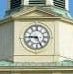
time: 9:25
